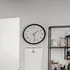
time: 1:28
